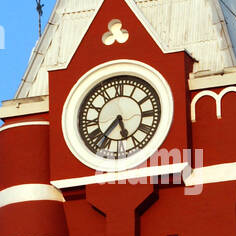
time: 5:36
